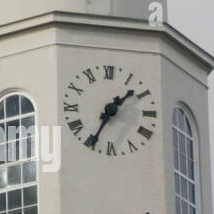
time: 1:34
